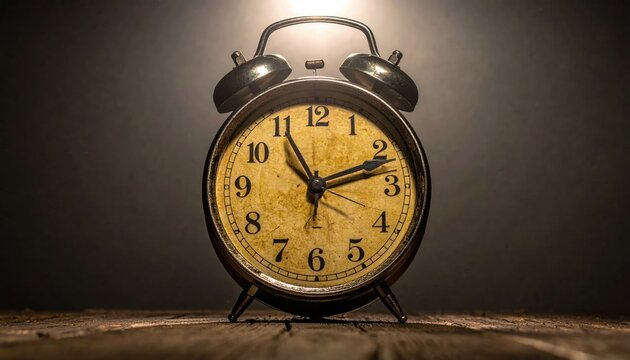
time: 11:11
